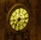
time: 7:15
